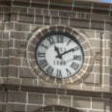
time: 11:09
